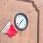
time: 7:07
